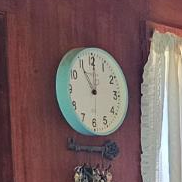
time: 11:00
